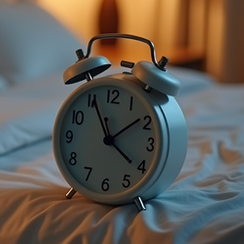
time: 1:55
